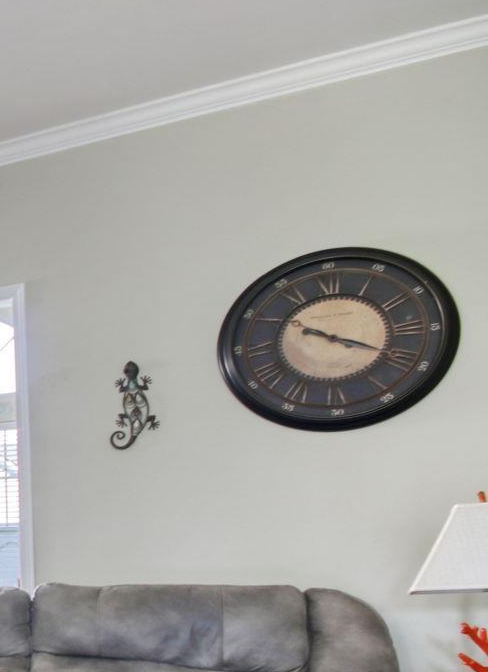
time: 10:19
